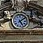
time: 5:08
